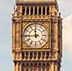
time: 11:44
